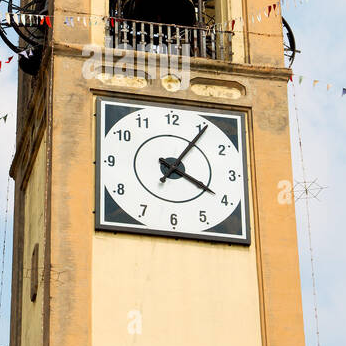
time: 4:05
